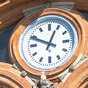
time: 12:49
